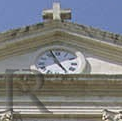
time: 4:56
